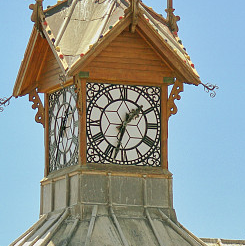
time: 1:32
